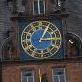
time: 3:04
